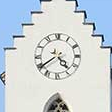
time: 4:39
